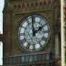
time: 1:59
